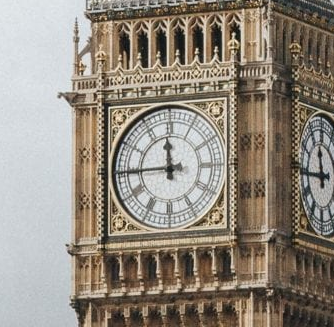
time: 11:44
